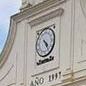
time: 4:23
